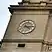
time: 4:14
